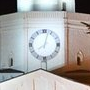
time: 8:02
